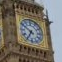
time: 6:50
